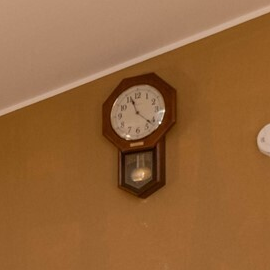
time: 11:21
